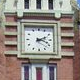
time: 2:18
